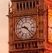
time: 9:22
